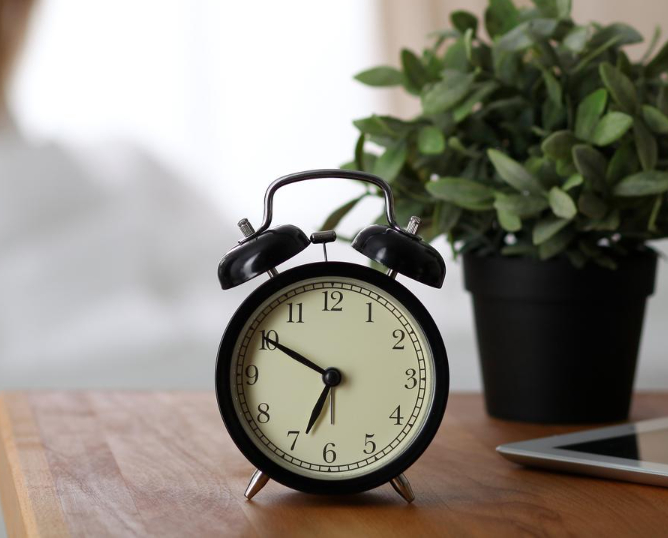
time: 6:50
